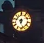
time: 6:27
